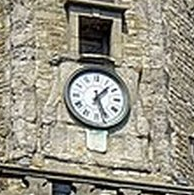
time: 1:26
